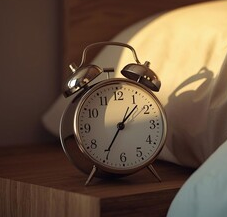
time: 1:35
